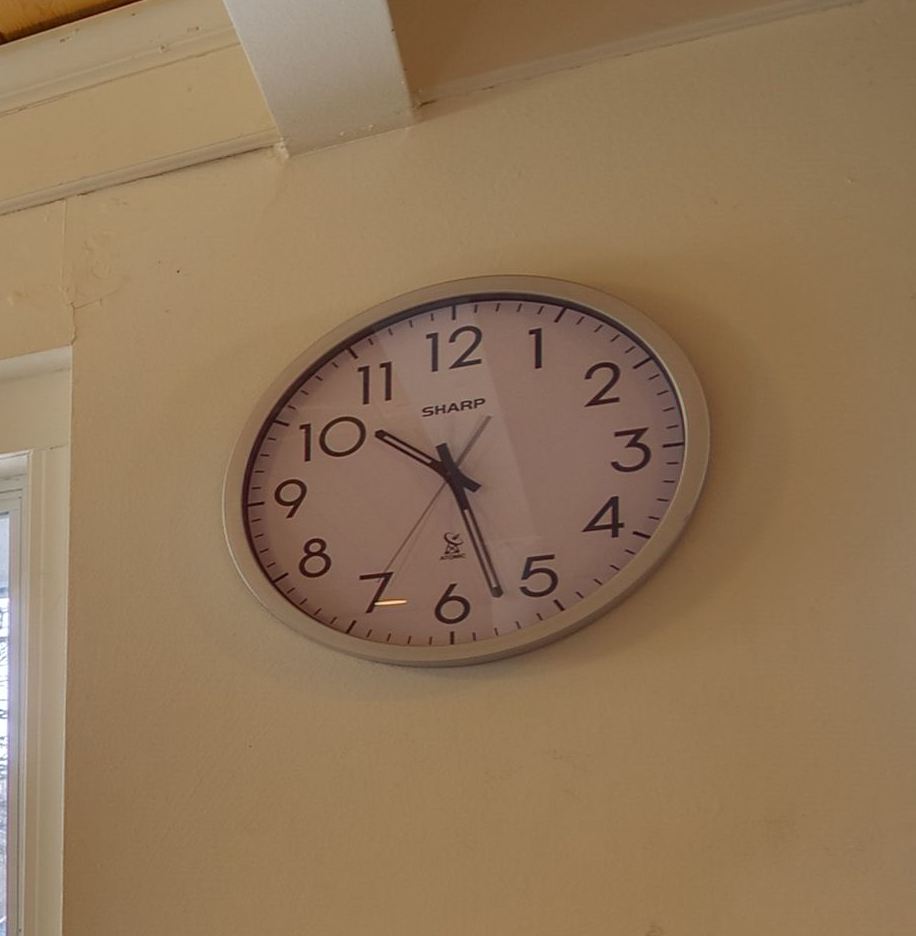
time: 10:27
